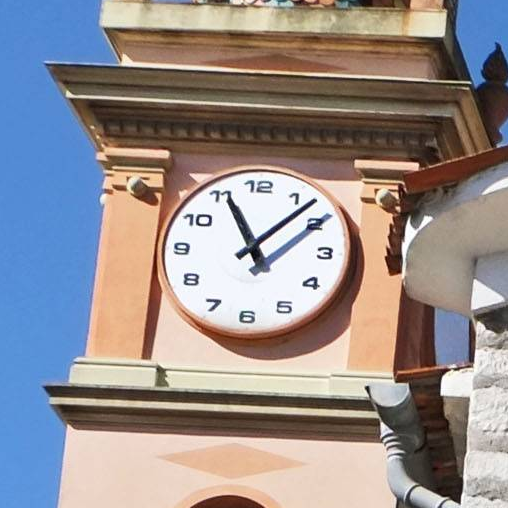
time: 11:07
